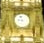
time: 8:57
